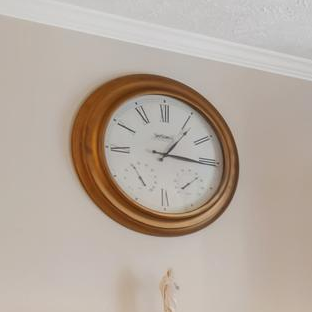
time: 1:15
